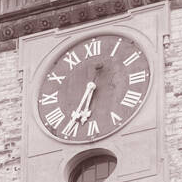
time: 6:34
